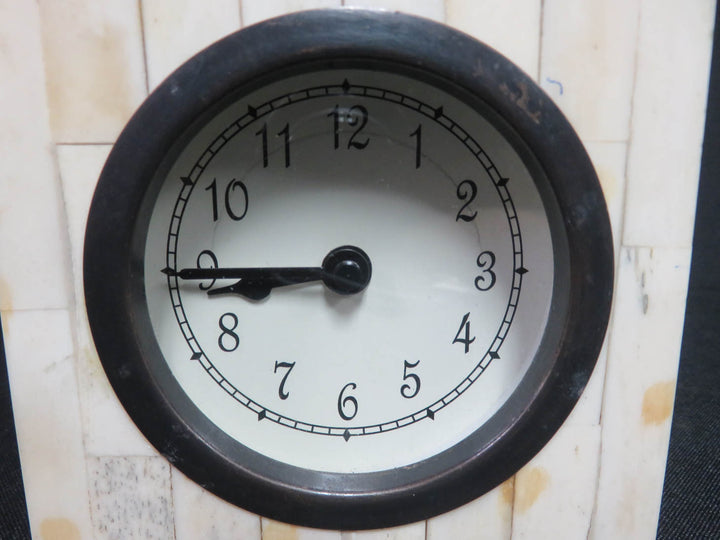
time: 8:45
